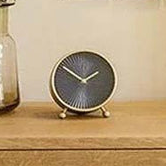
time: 1:50
